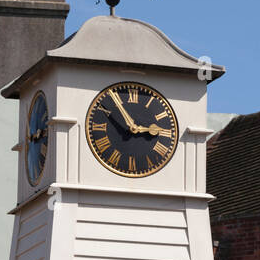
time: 2:54
